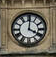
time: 4:00
